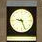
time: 9:26
